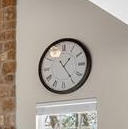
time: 1:24
